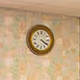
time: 4:20
